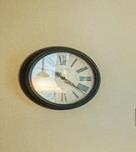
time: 4:21
